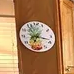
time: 7:17
